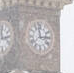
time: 2:58
